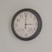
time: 3:00
